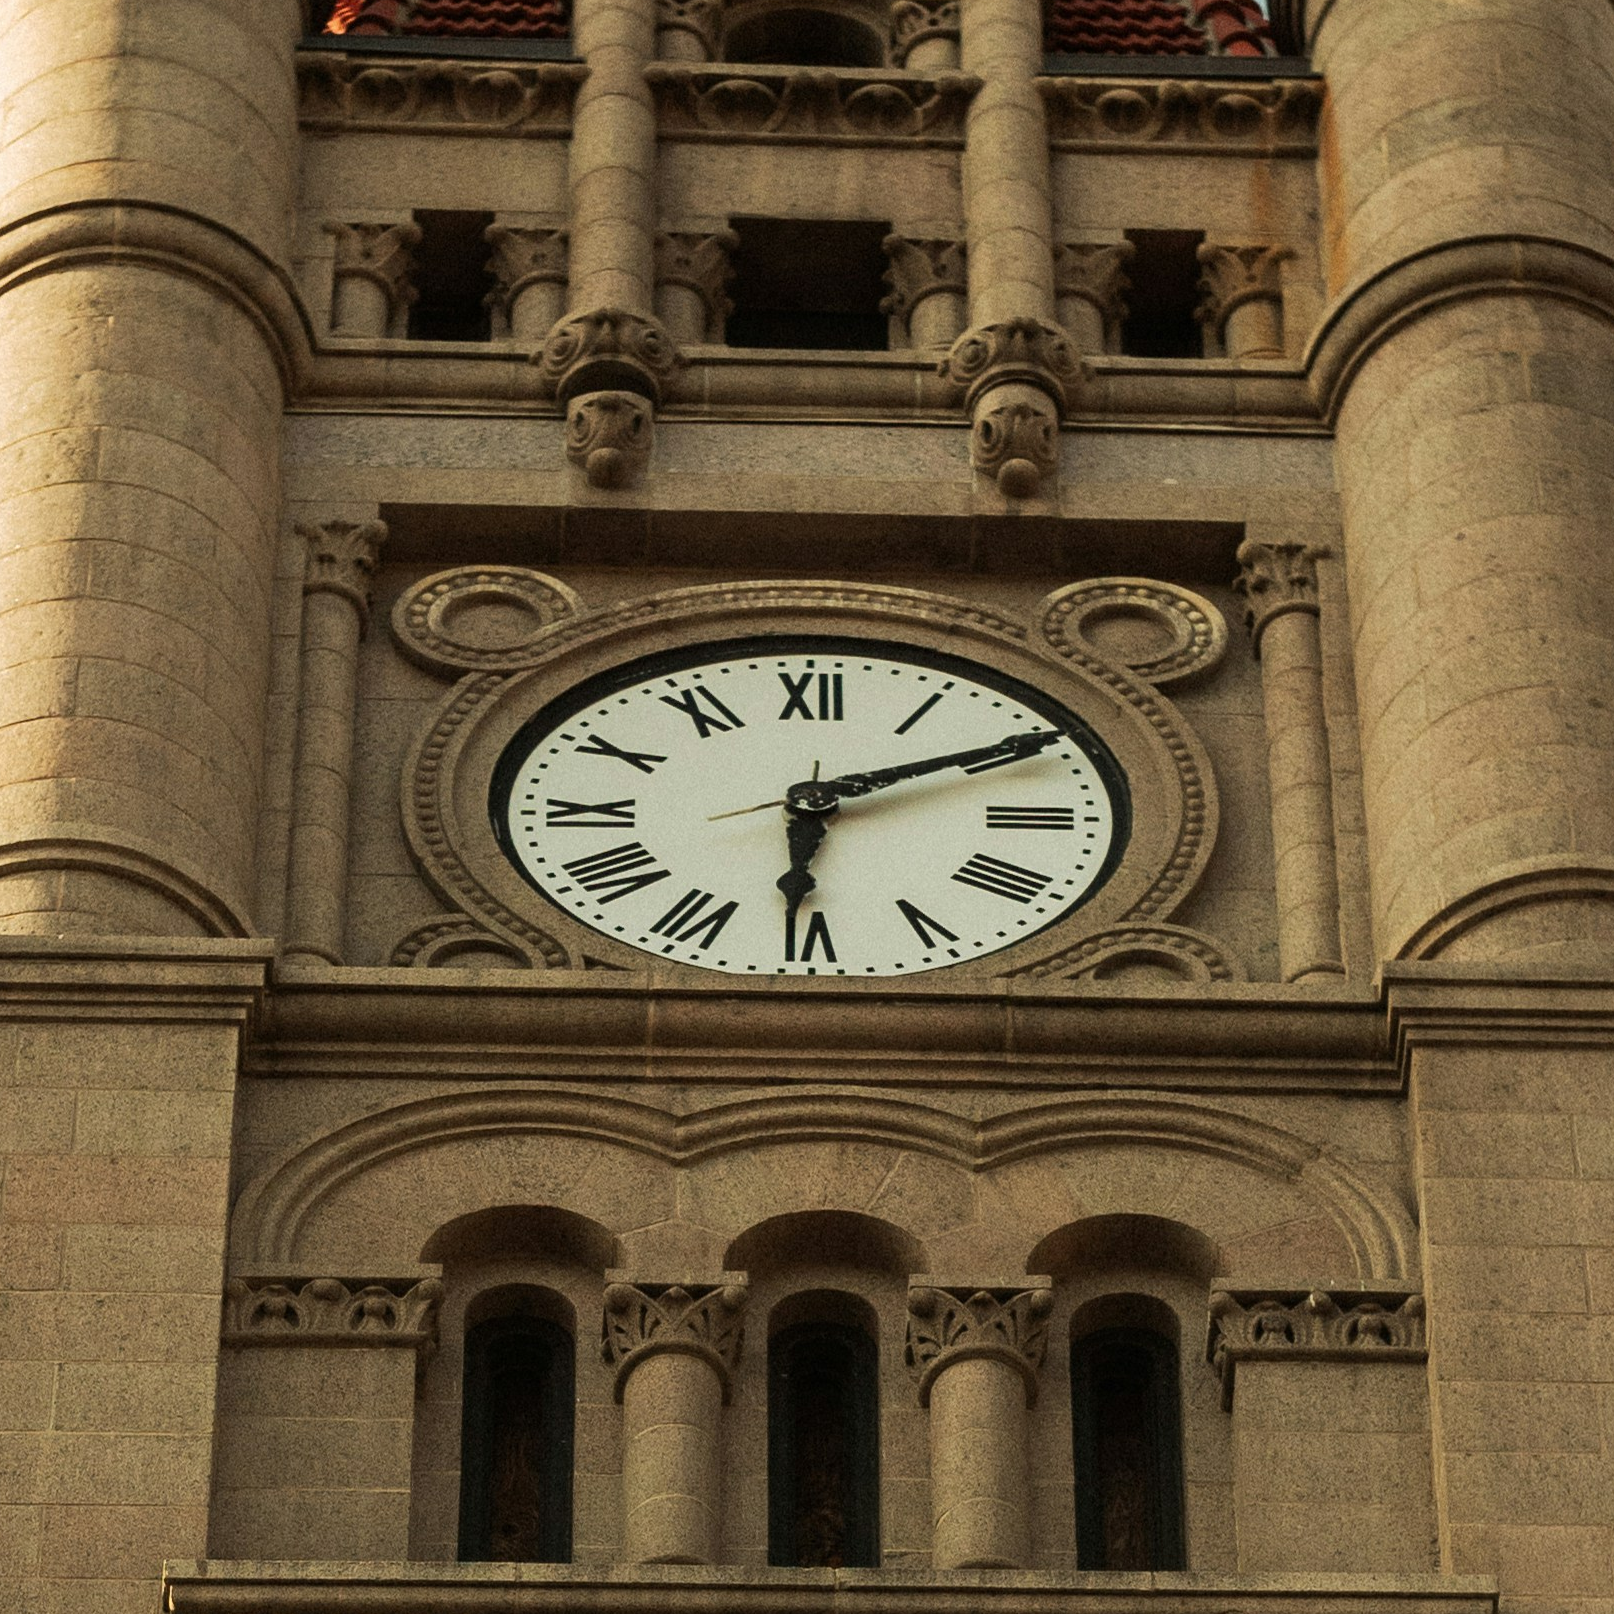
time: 6:10
